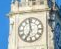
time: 6:58
